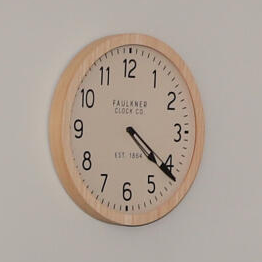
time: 4:21
